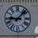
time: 9:07
